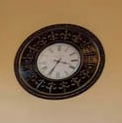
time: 3:34
